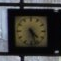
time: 4:27
